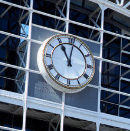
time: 11:01
